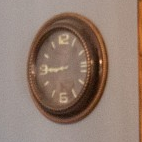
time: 8:44
